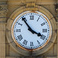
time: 3:53
